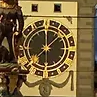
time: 12:07
